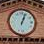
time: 1:03
